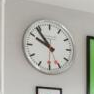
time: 9:53
